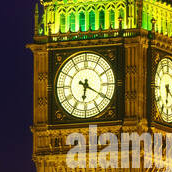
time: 6:19
